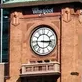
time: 3:15
